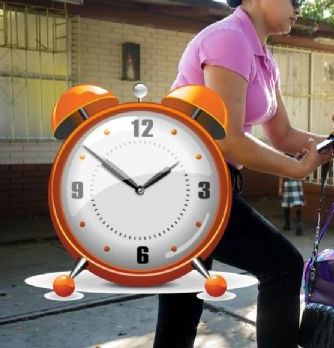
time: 1:51
